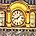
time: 1:42
